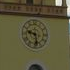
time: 9:28
